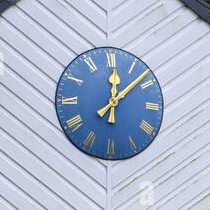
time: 12:08
